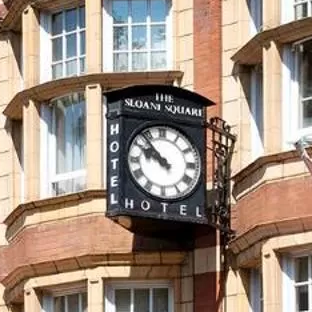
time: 9:53
